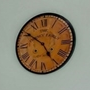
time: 4:50
